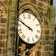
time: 9:48
